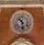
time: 10:28
